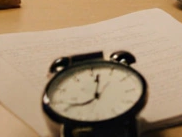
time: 8:01
